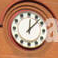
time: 12:07
